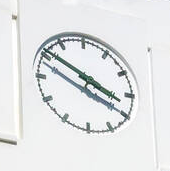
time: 3:50
